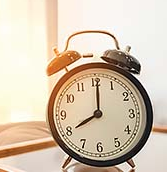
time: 8:00
